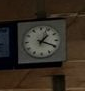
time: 1:19
